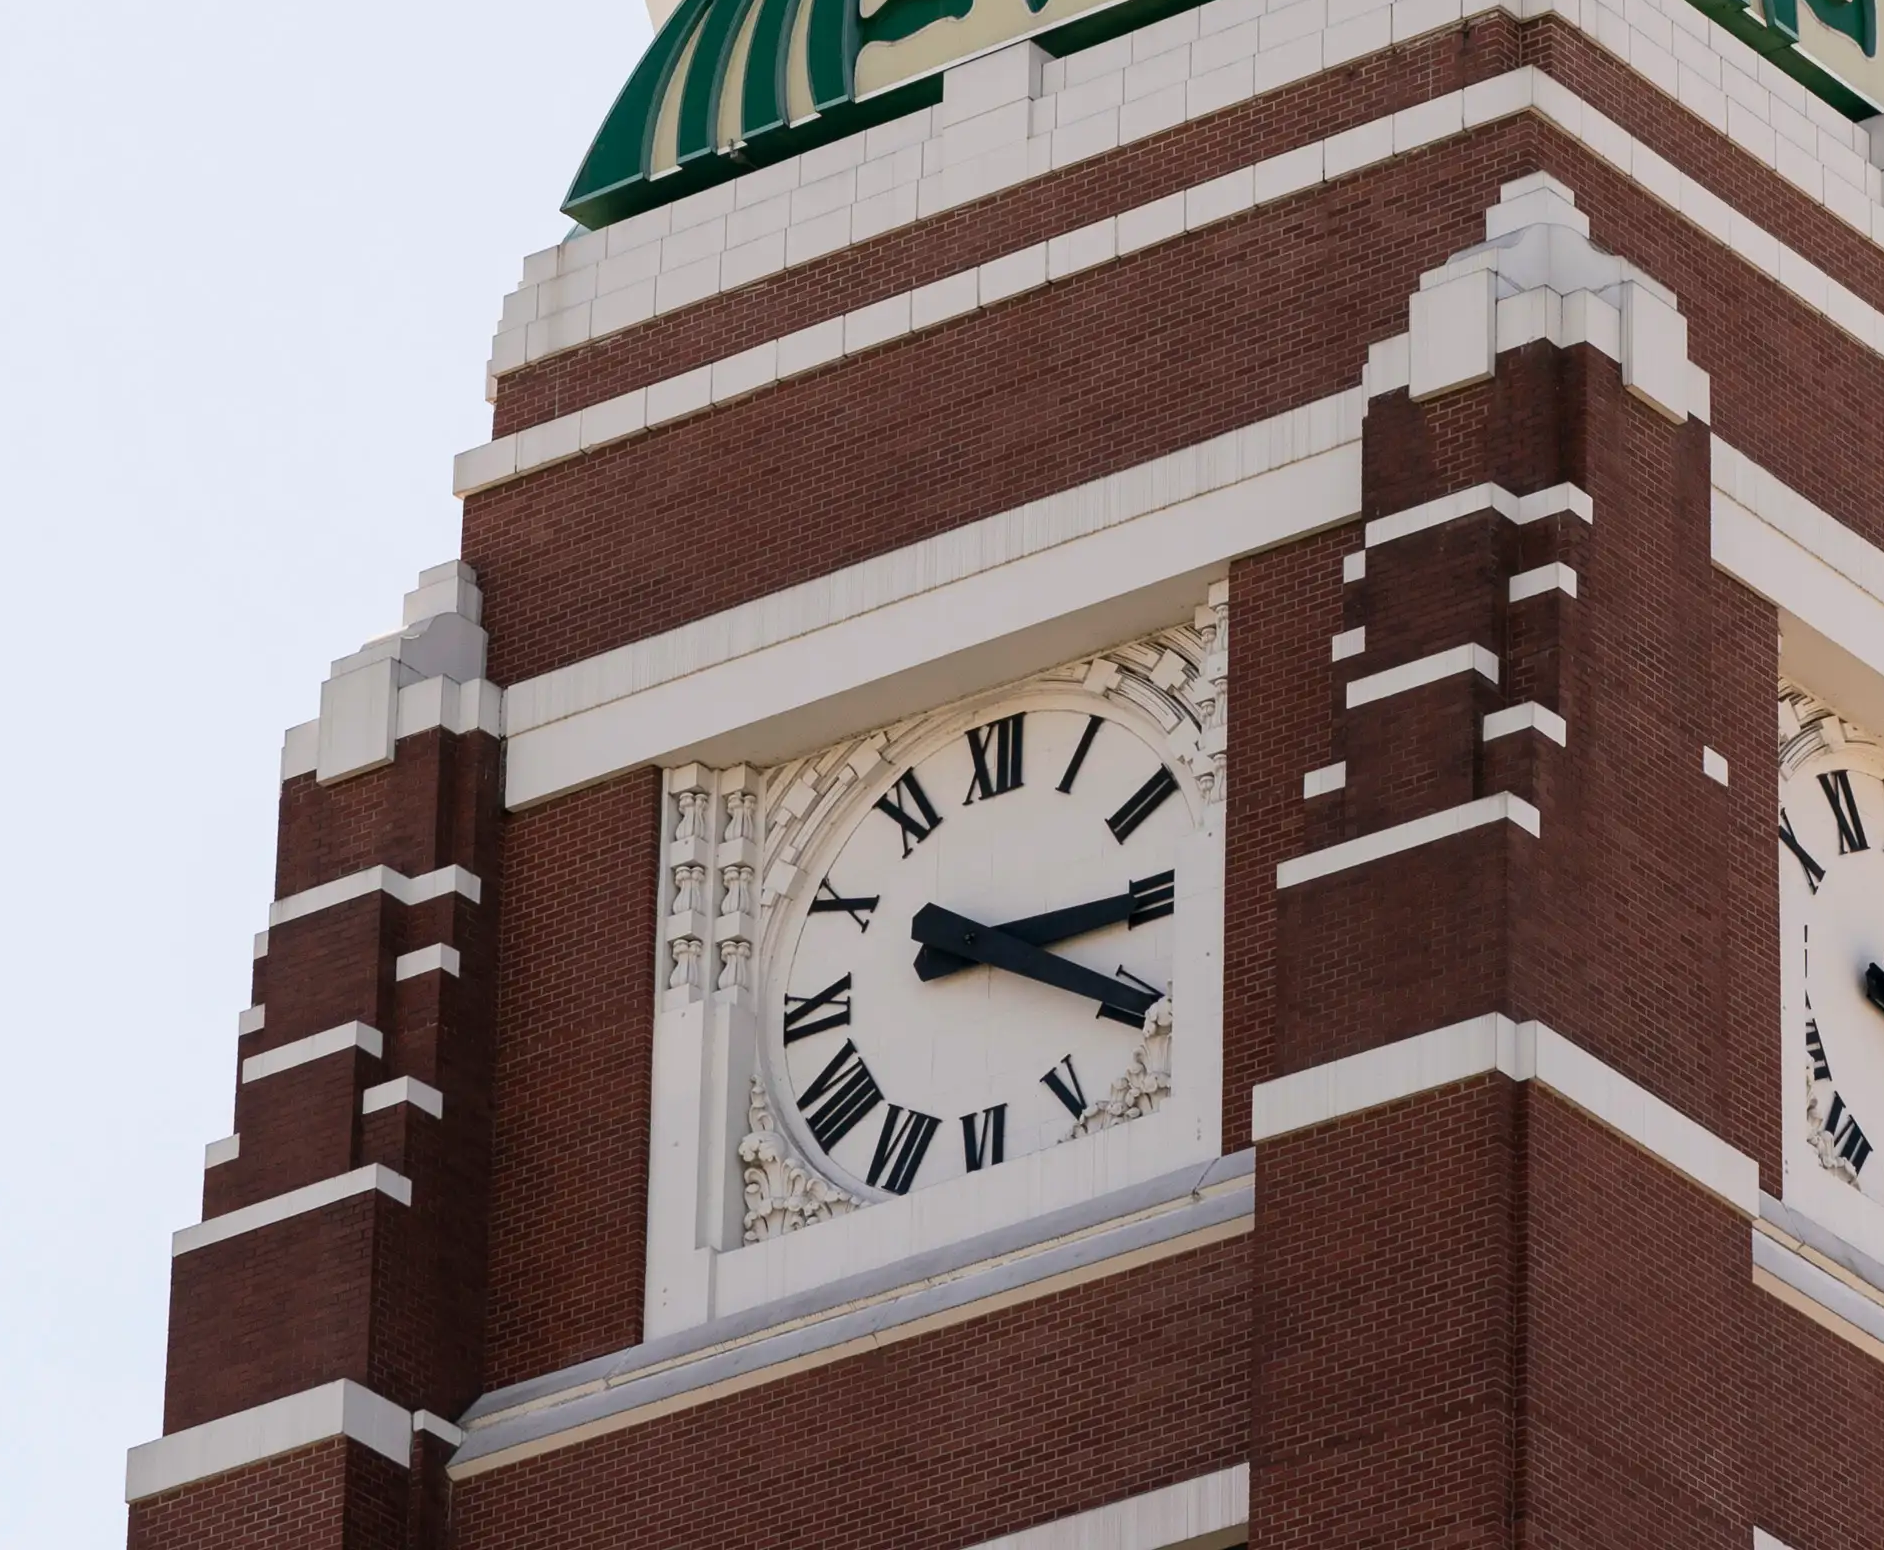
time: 3:20
